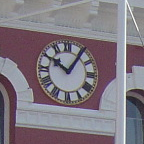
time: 10:05
